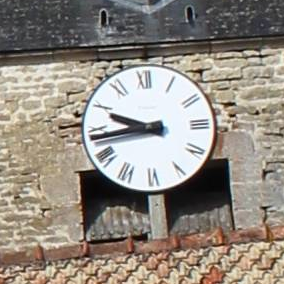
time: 9:43
